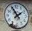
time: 1:55
